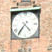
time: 4:36
